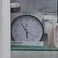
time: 5:54
